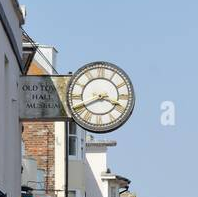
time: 3:40
